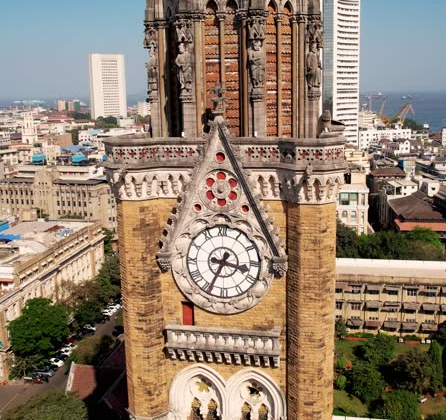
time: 3:34
